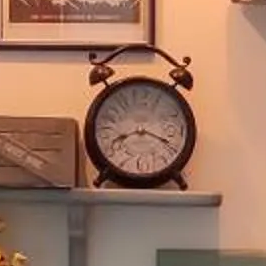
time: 8:18
